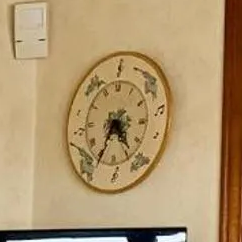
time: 4:35
